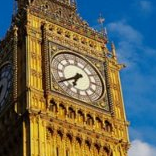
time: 6:39
